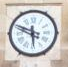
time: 5:48
